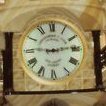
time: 9:13
